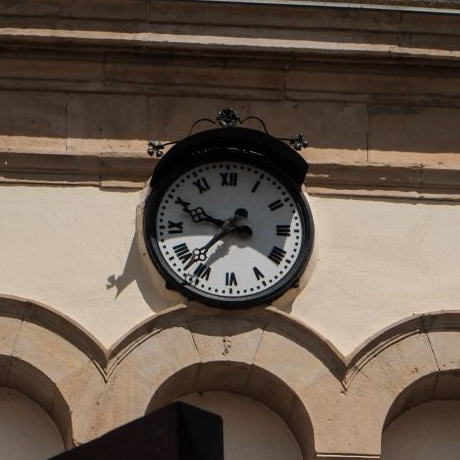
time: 9:37
